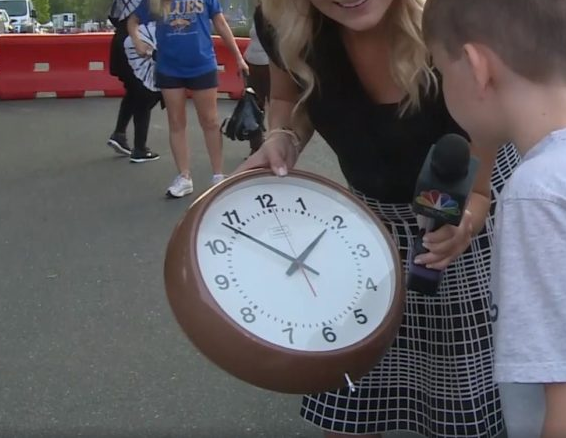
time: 1:53
